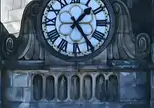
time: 1:24
